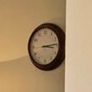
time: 3:13
